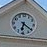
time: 6:21
